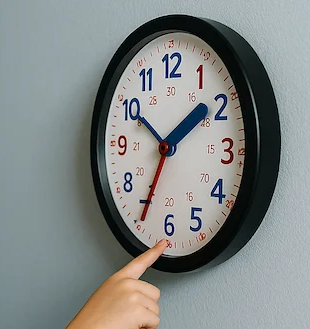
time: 1:50
